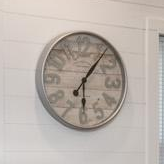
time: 6:06
